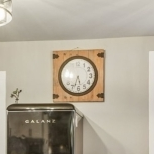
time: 5:33
